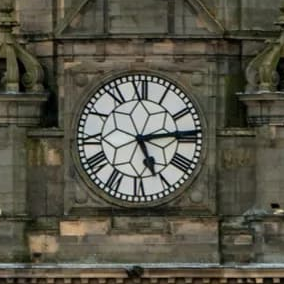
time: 5:13
